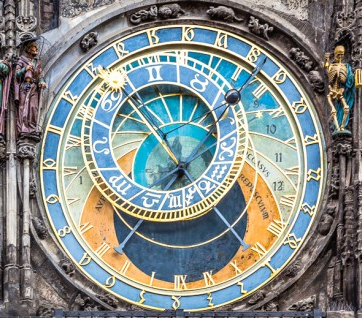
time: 4:52
